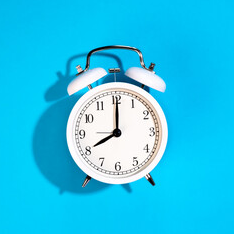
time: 8:00
